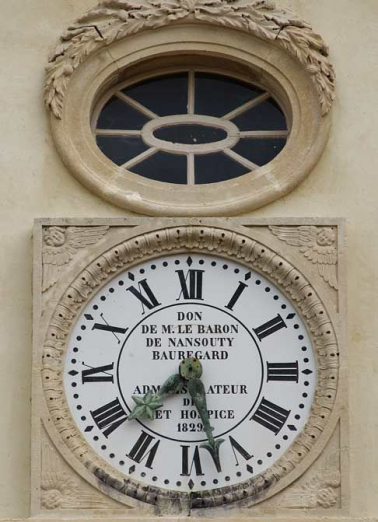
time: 7:27
